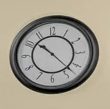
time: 10:22
